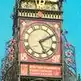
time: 5:10
